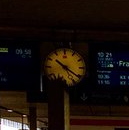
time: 10:21
